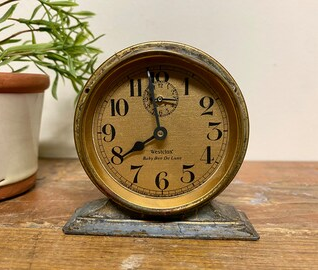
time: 7:58
